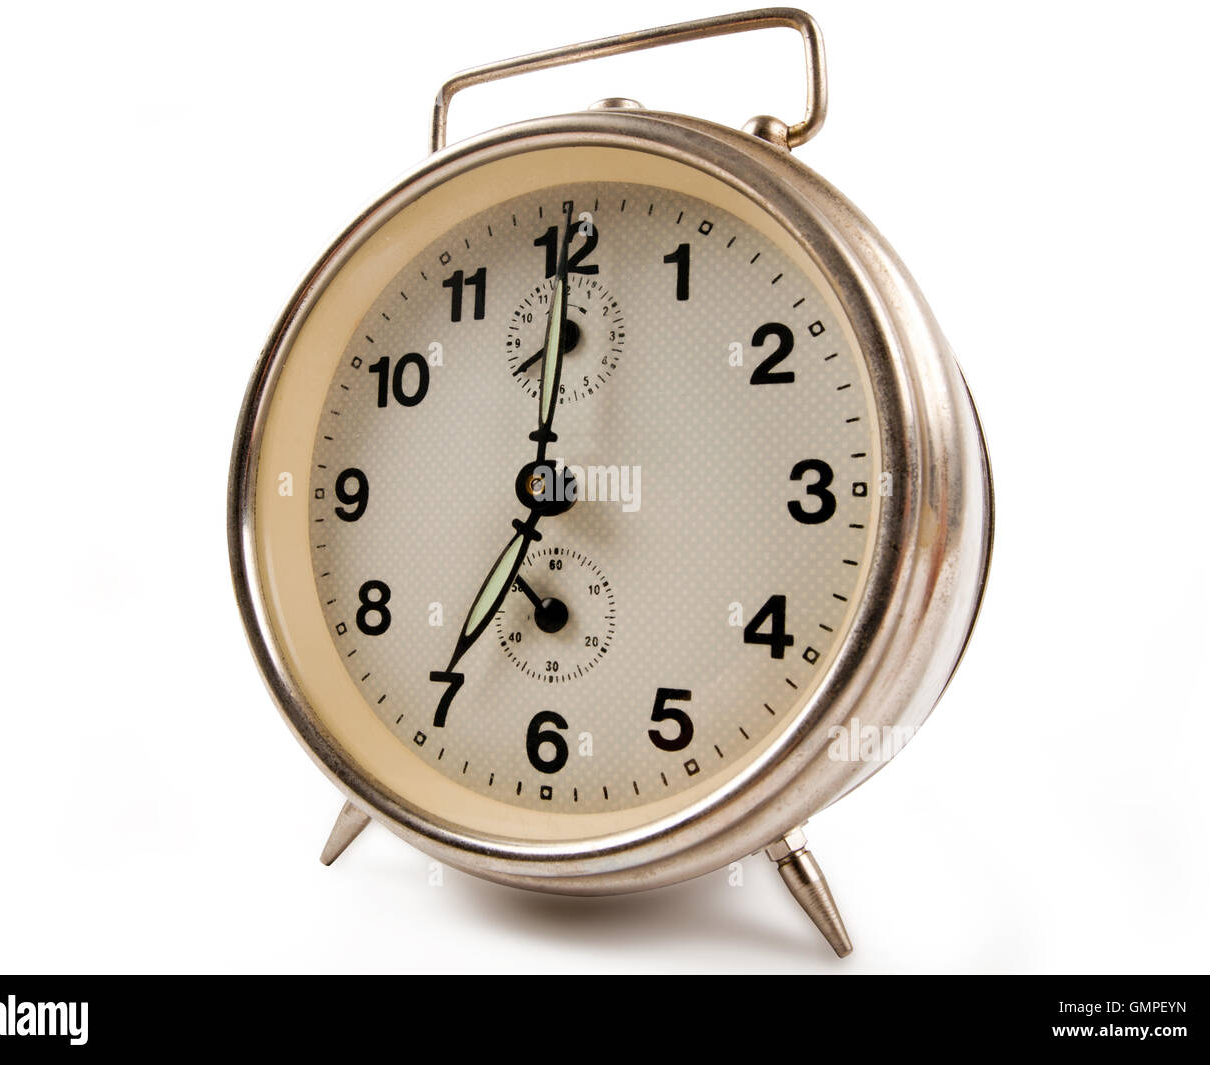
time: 7:00
